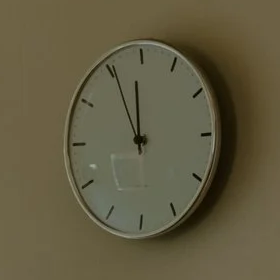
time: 11:55
